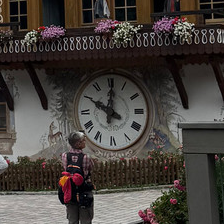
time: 10:00
